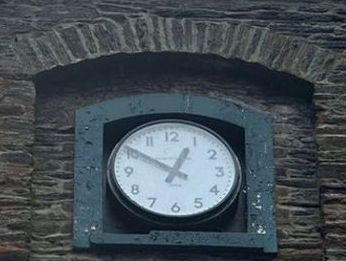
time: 12:50
